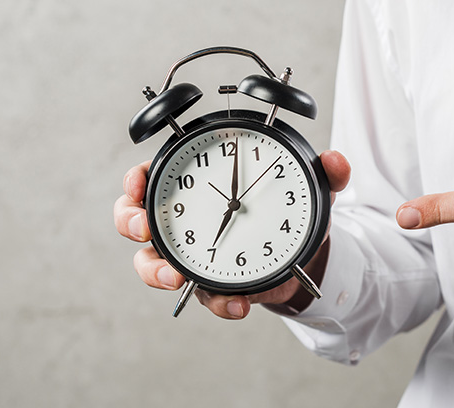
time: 7:01
